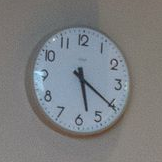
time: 5:20
